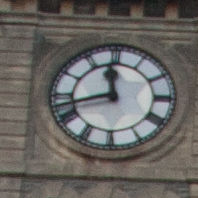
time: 11:42
